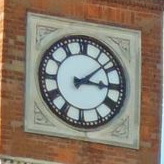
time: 3:08
